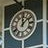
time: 12:07
